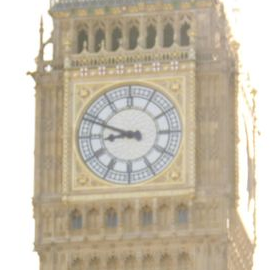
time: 8:48
